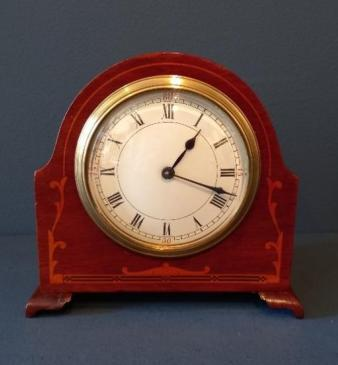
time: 1:18
